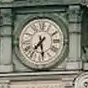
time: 7:28
